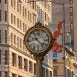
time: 8:21
